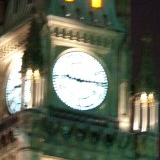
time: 9:14
